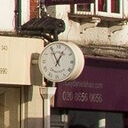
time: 12:55
